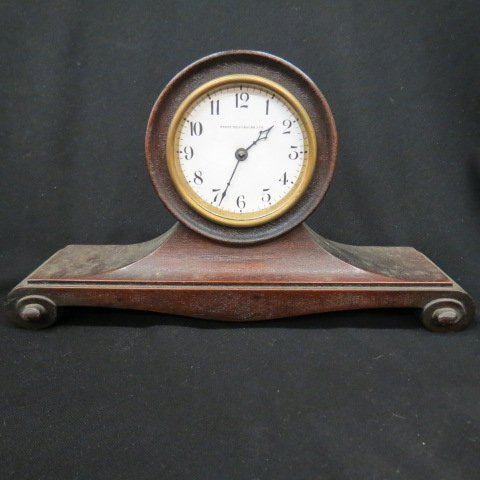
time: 1:34
